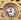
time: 11:41
